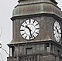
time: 10:28
